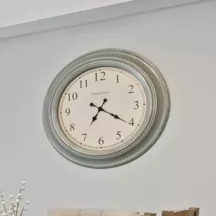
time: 7:20
